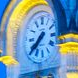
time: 7:37
